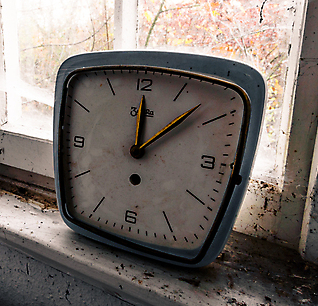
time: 12:07
